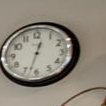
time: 12:32
